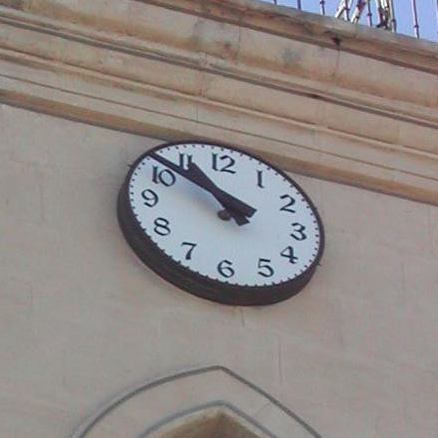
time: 10:51
